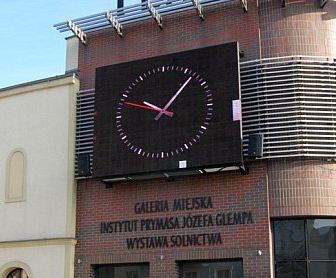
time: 10:07
